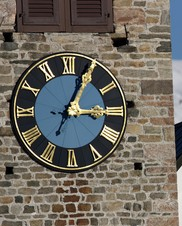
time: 3:04
